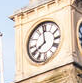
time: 7:59
